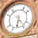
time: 6:23
